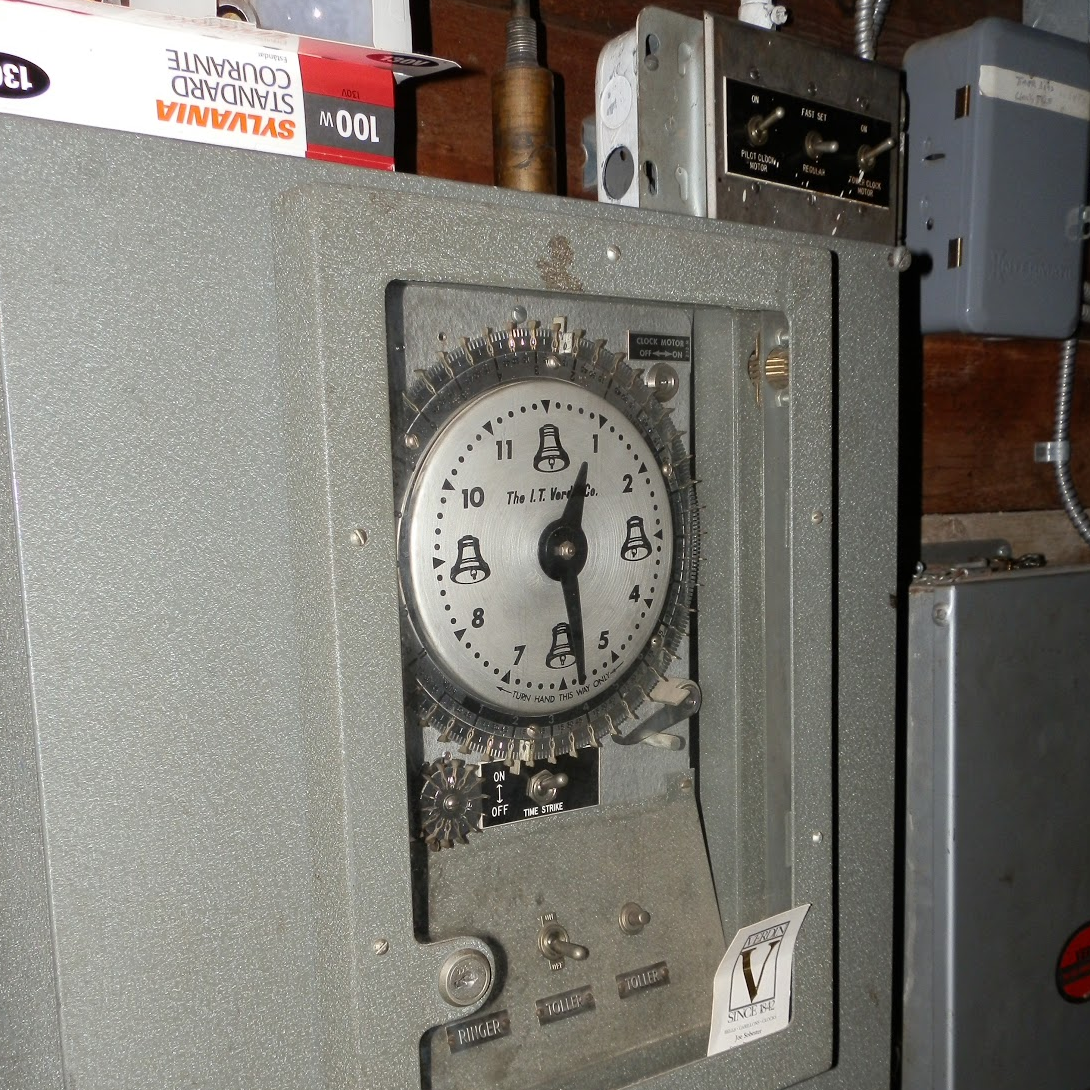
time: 12:28
